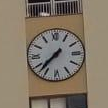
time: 7:37
